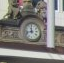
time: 11:42
